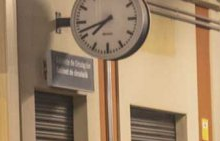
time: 7:42
